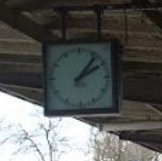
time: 2:06
